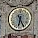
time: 6:25
